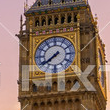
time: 7:38
